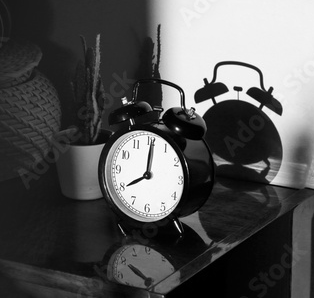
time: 8:01
